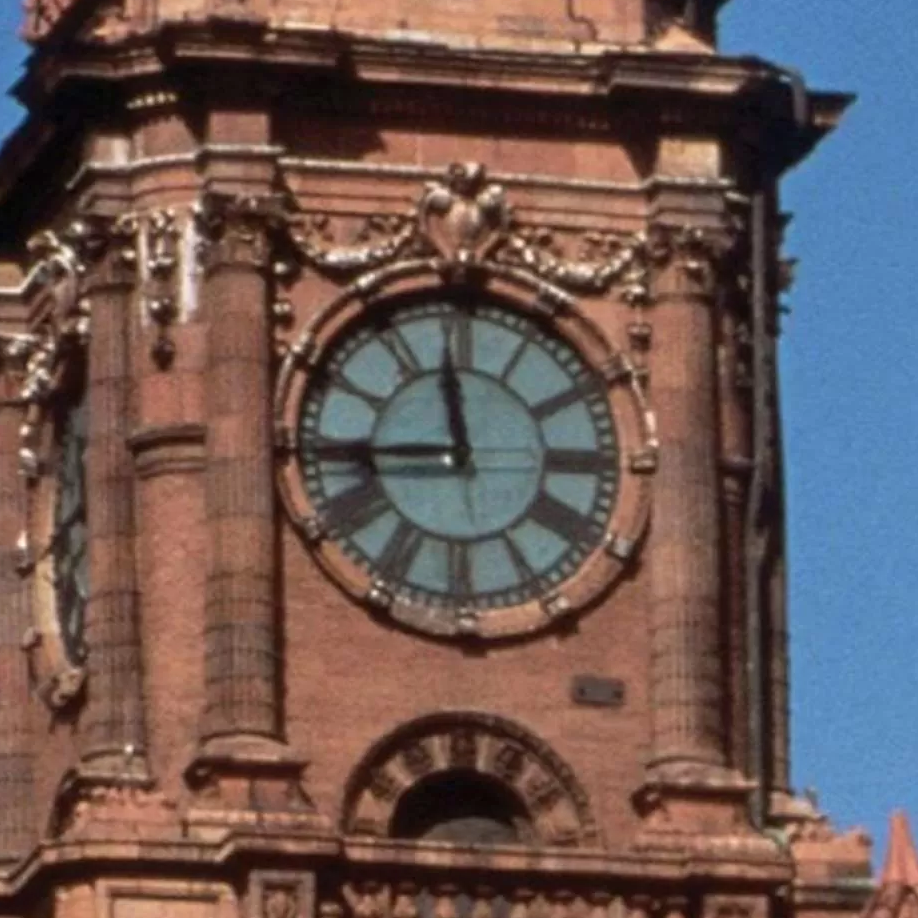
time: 11:44
